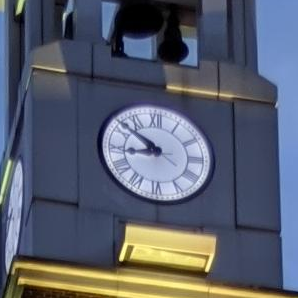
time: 8:51
